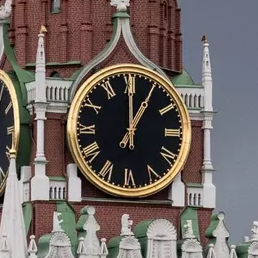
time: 1:00
